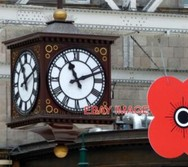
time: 11:11
